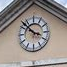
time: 3:52
